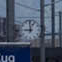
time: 8:59
